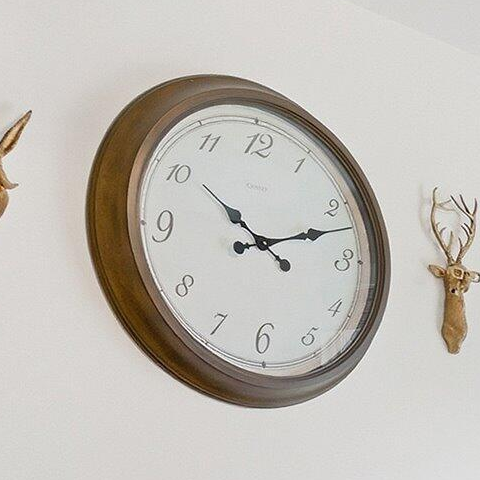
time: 10:12
